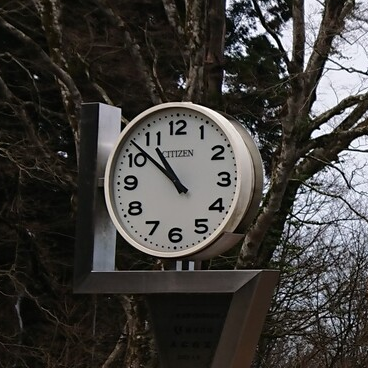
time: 10:51
